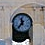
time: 11:36
